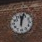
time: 12:02
